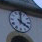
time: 4:00
